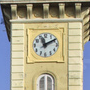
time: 11:09
